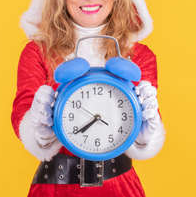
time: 7:39
